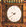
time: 9:39
